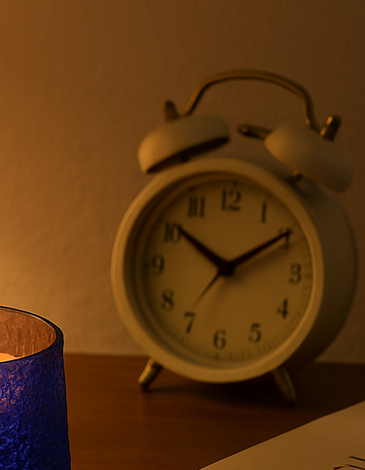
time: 10:09
